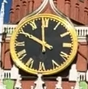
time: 11:49
